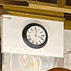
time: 12:18
